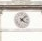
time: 4:07
